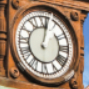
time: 1:02
